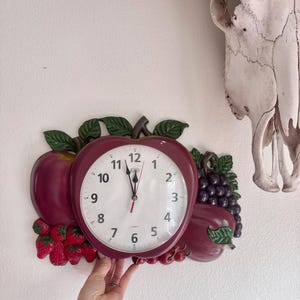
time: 11:57
